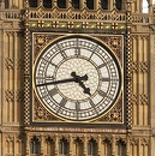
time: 4:42
